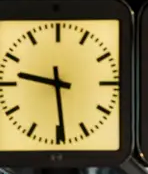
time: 9:29
